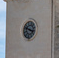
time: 3:47
